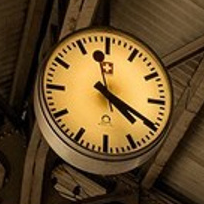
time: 4:19
